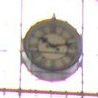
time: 10:13
